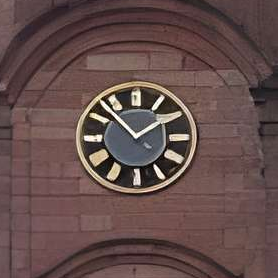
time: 1:52
